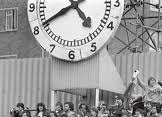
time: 4:40
